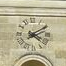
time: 4:09
